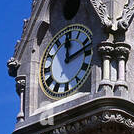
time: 12:12
